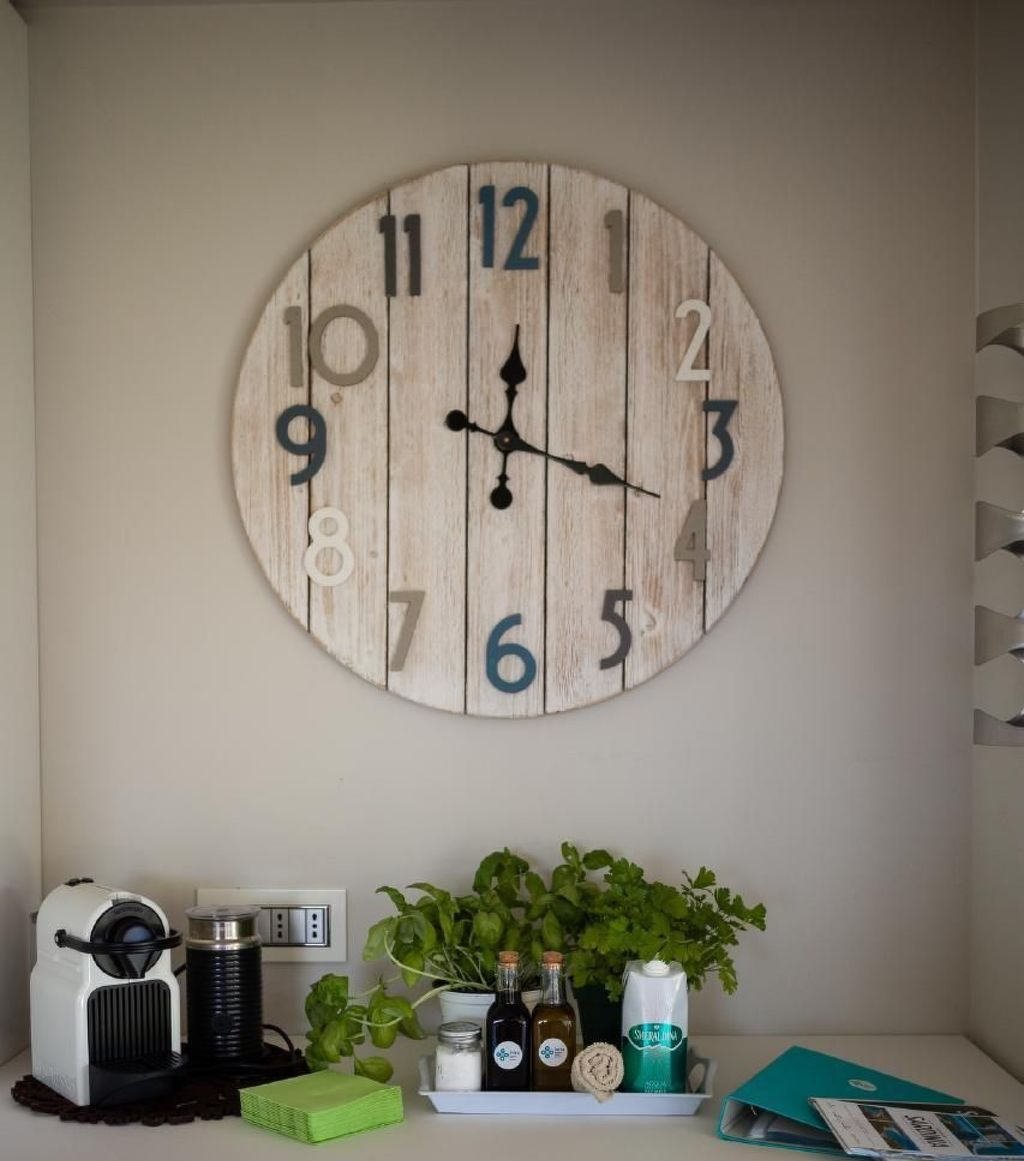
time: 12:18
